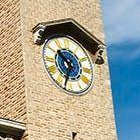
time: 10:33
